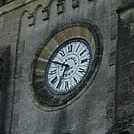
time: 6:49
